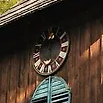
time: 12:28
